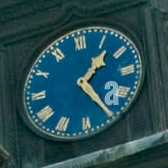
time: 1:24
